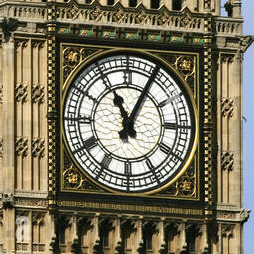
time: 11:04
